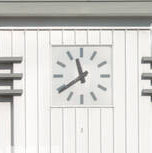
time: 11:39
